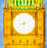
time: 8:30
